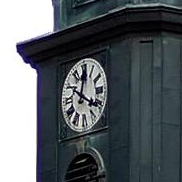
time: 12:20
